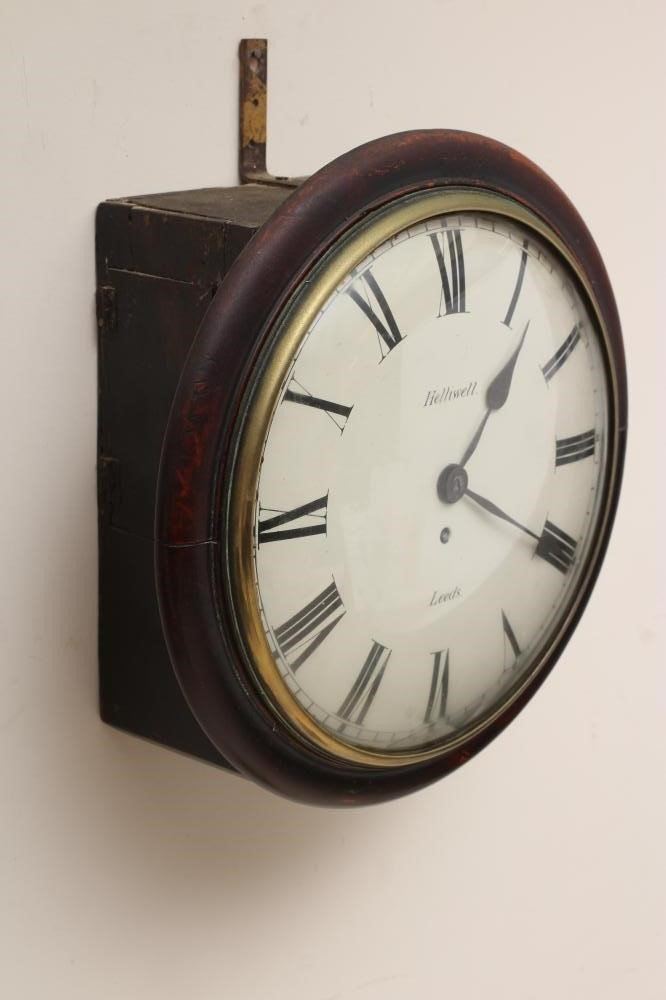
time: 1:20
